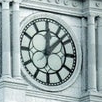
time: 12:07
